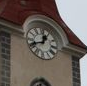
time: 12:41
